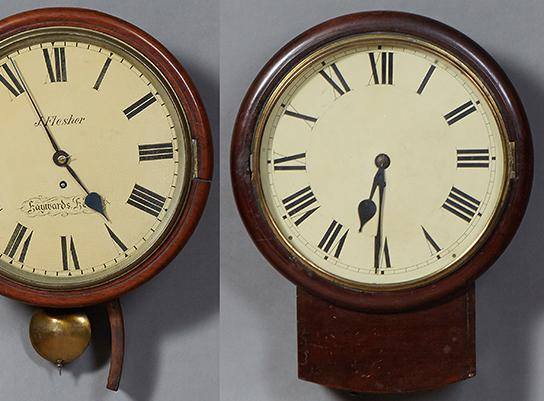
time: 6:30
